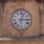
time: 3:03
